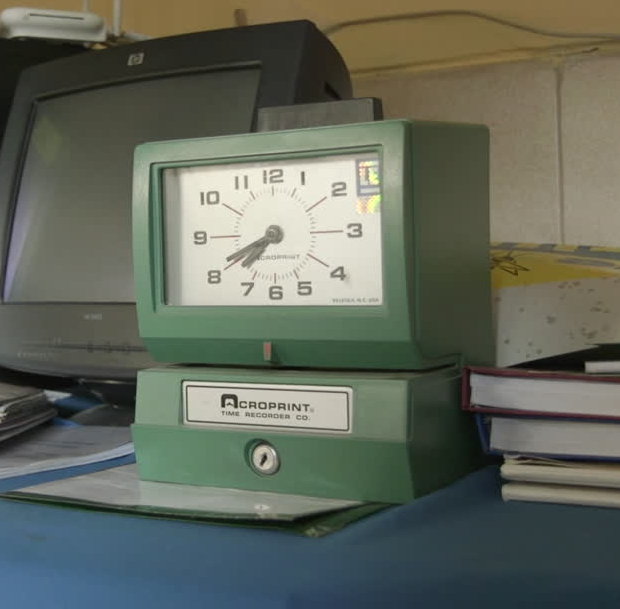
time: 7:40
